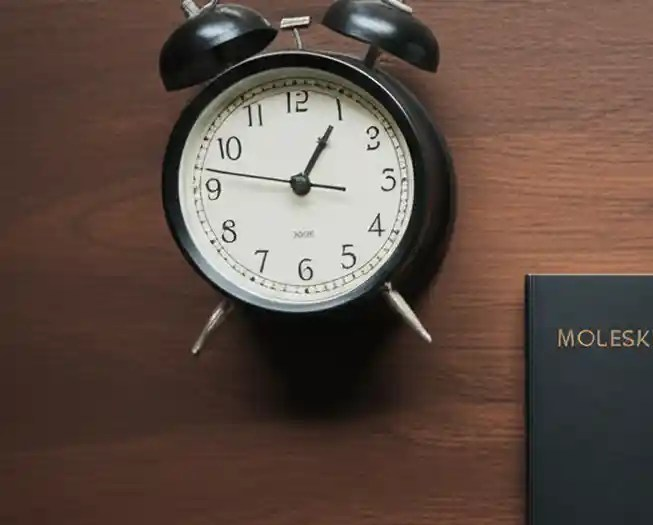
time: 1:05
